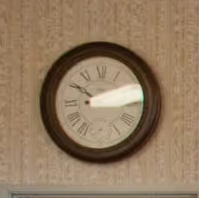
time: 10:14
